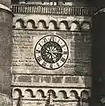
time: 5:15
